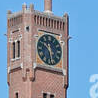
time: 10:28
